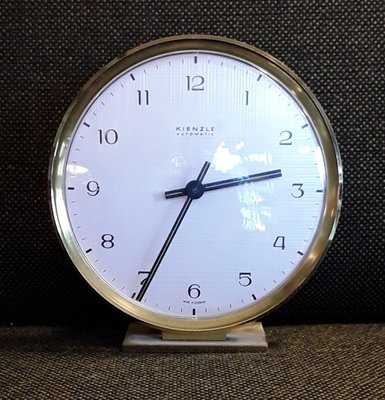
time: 2:34
